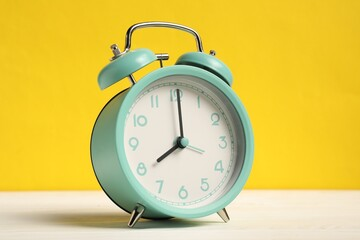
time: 8:00
